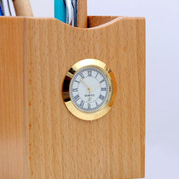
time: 5:53
